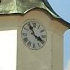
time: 3:55
